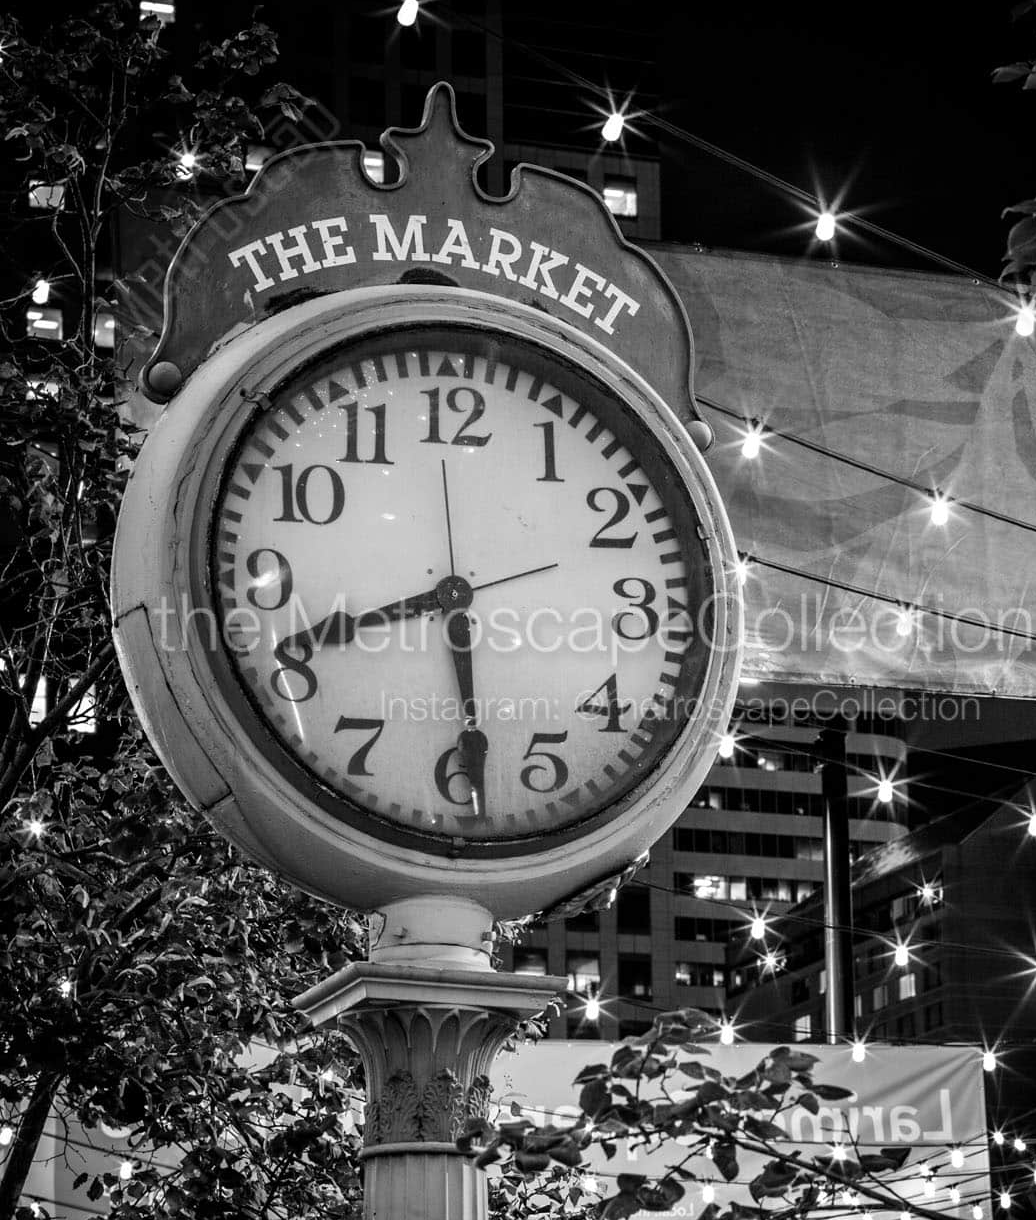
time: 5:41
